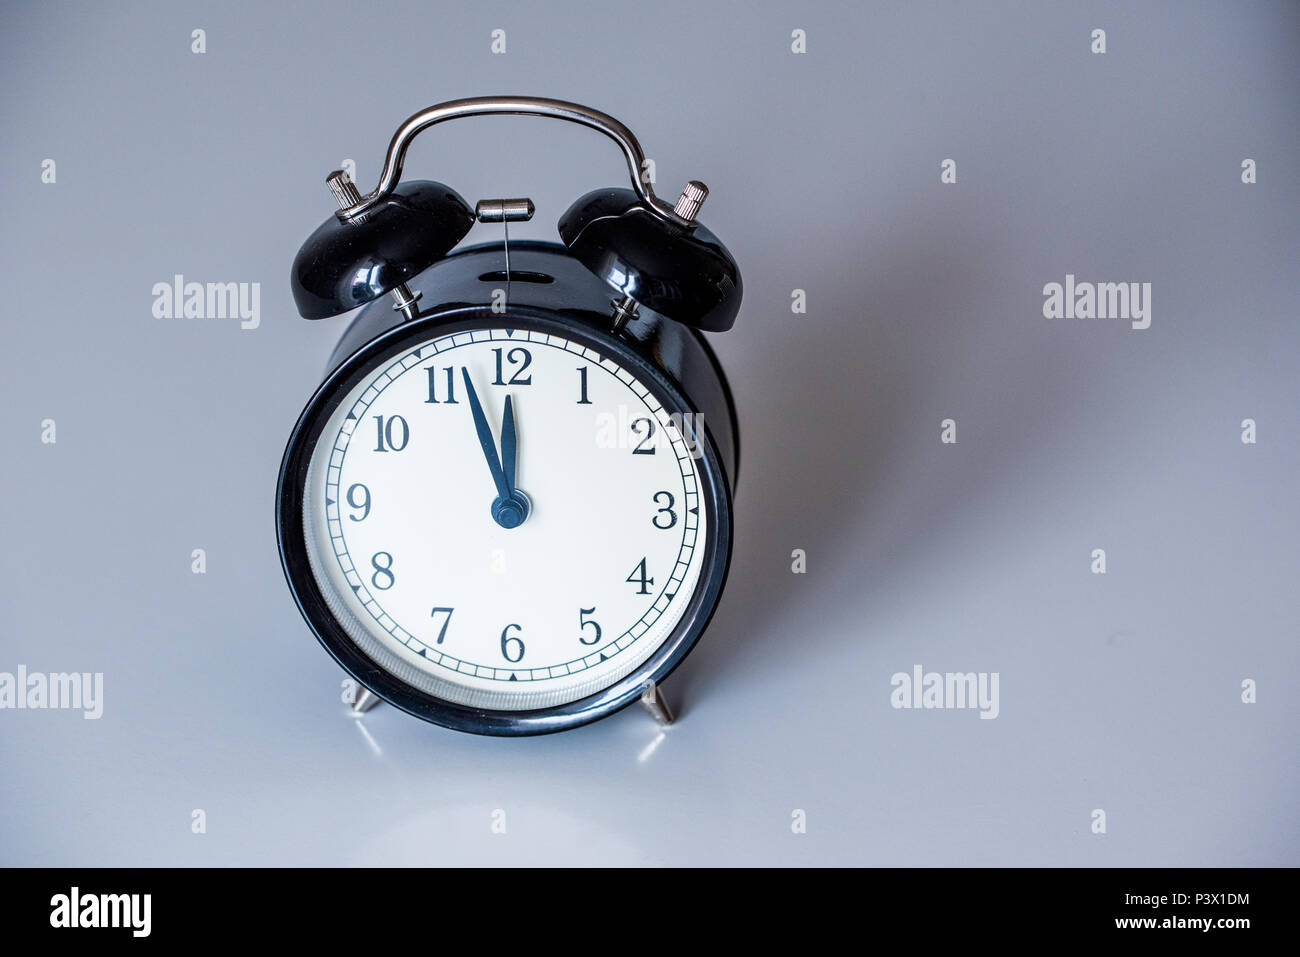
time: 11:56
